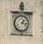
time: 1:16
